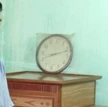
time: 8:12
